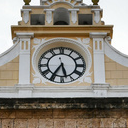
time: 5:35
